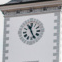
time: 11:25
